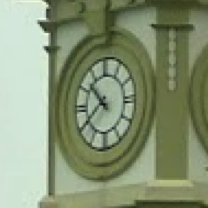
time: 10:39
